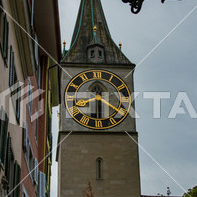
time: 11:30
